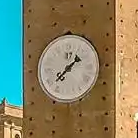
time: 1:37
